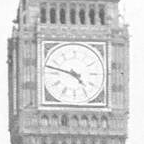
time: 4:47
